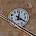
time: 12:20
